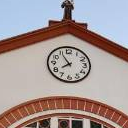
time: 7:55
